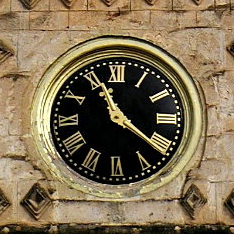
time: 11:21
